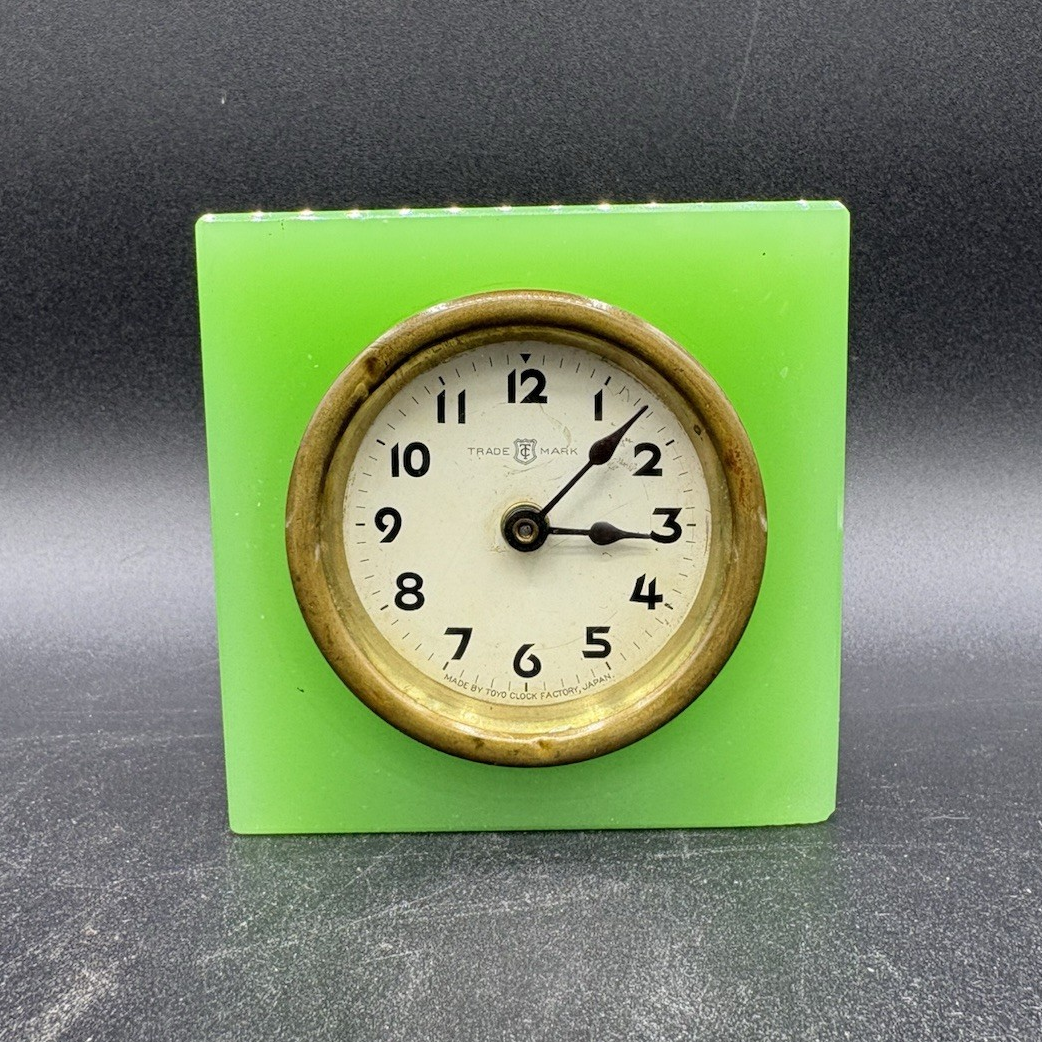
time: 3:07
